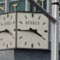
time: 3:44
